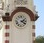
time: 2:21
